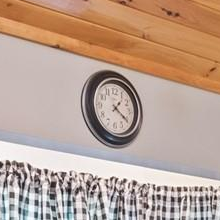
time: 1:20
